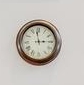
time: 2:58
